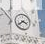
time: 3:38
